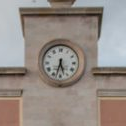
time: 5:32
